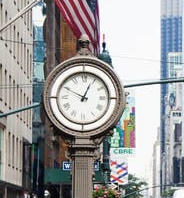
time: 12:49
